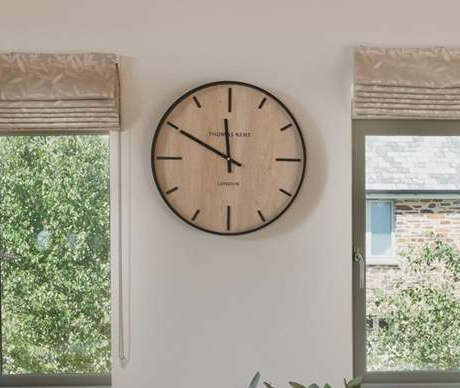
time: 11:49
